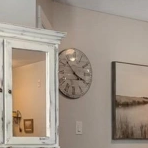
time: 3:52
